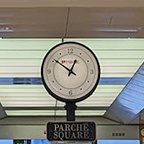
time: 12:51
